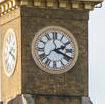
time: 2:18
